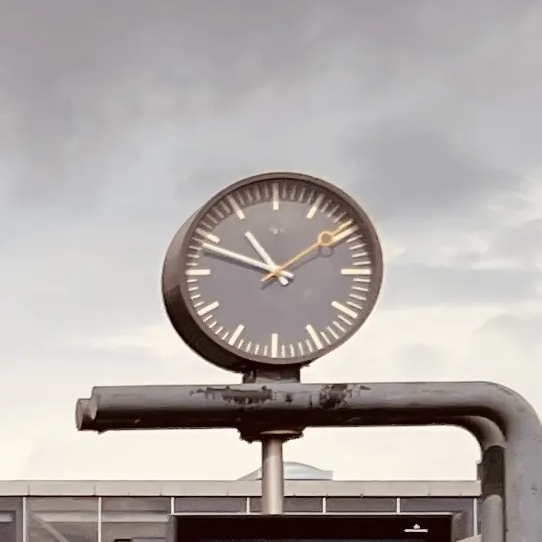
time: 10:48
